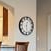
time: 12:28
